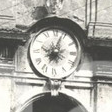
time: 8:03
